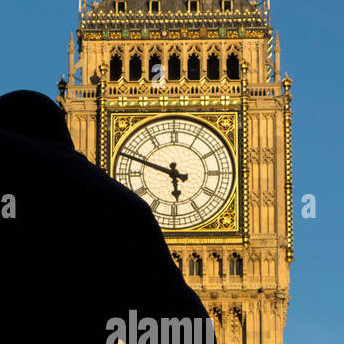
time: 5:48
